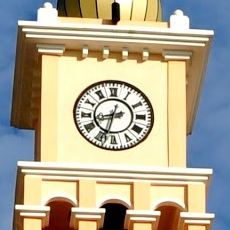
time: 8:33
